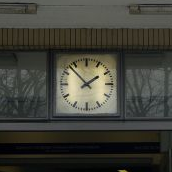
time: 1:52
